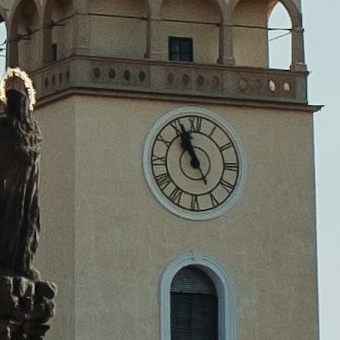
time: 10:56
